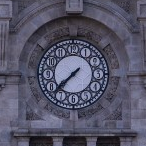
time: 7:37
